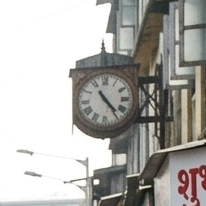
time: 4:23
